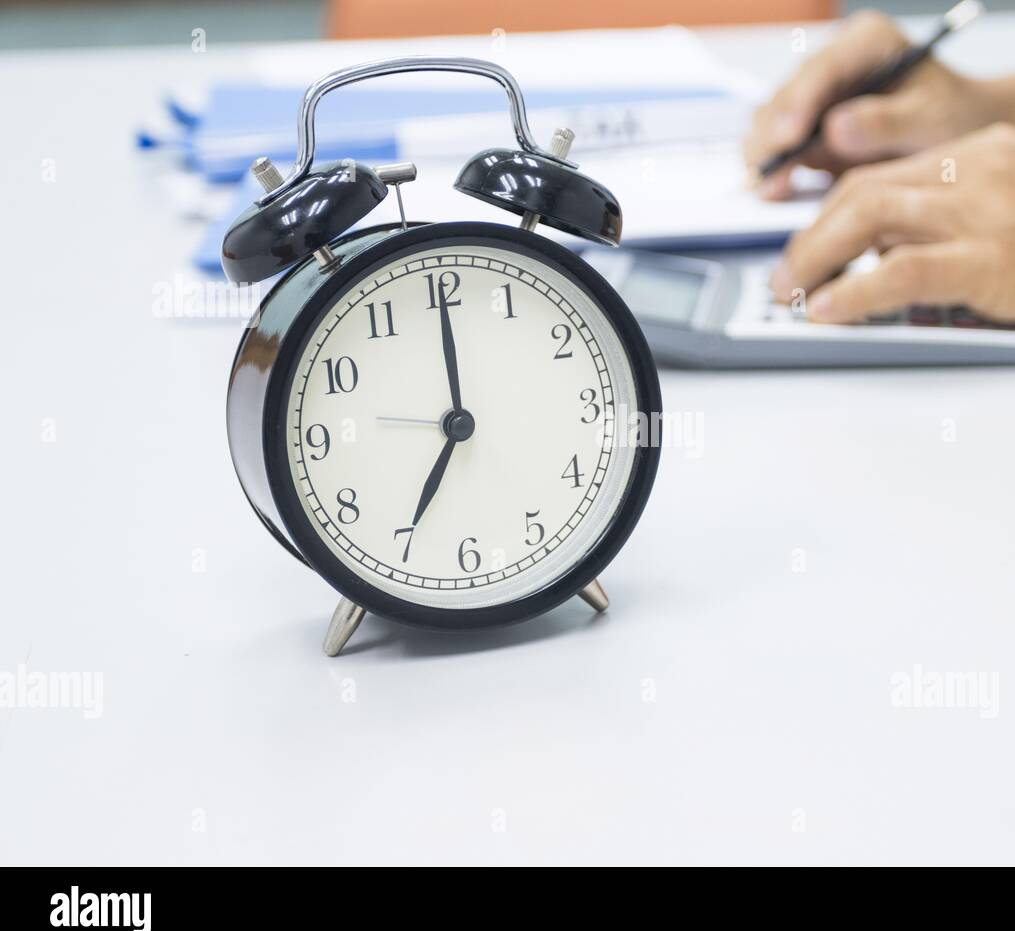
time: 7:00
